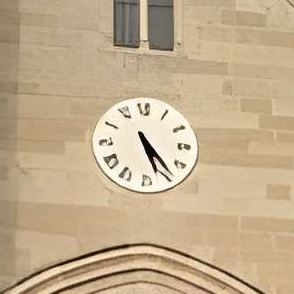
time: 5:23
